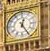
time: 12:24
